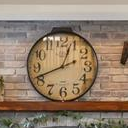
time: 12:41
